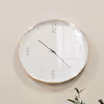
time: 10:23
